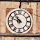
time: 10:48
